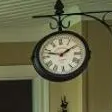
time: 1:47
